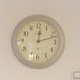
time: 12:12
